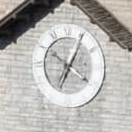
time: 10:04
